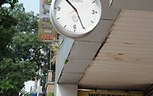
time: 10:25
